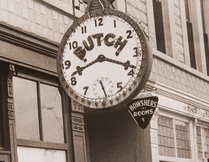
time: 8:18
